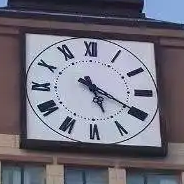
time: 5:19
